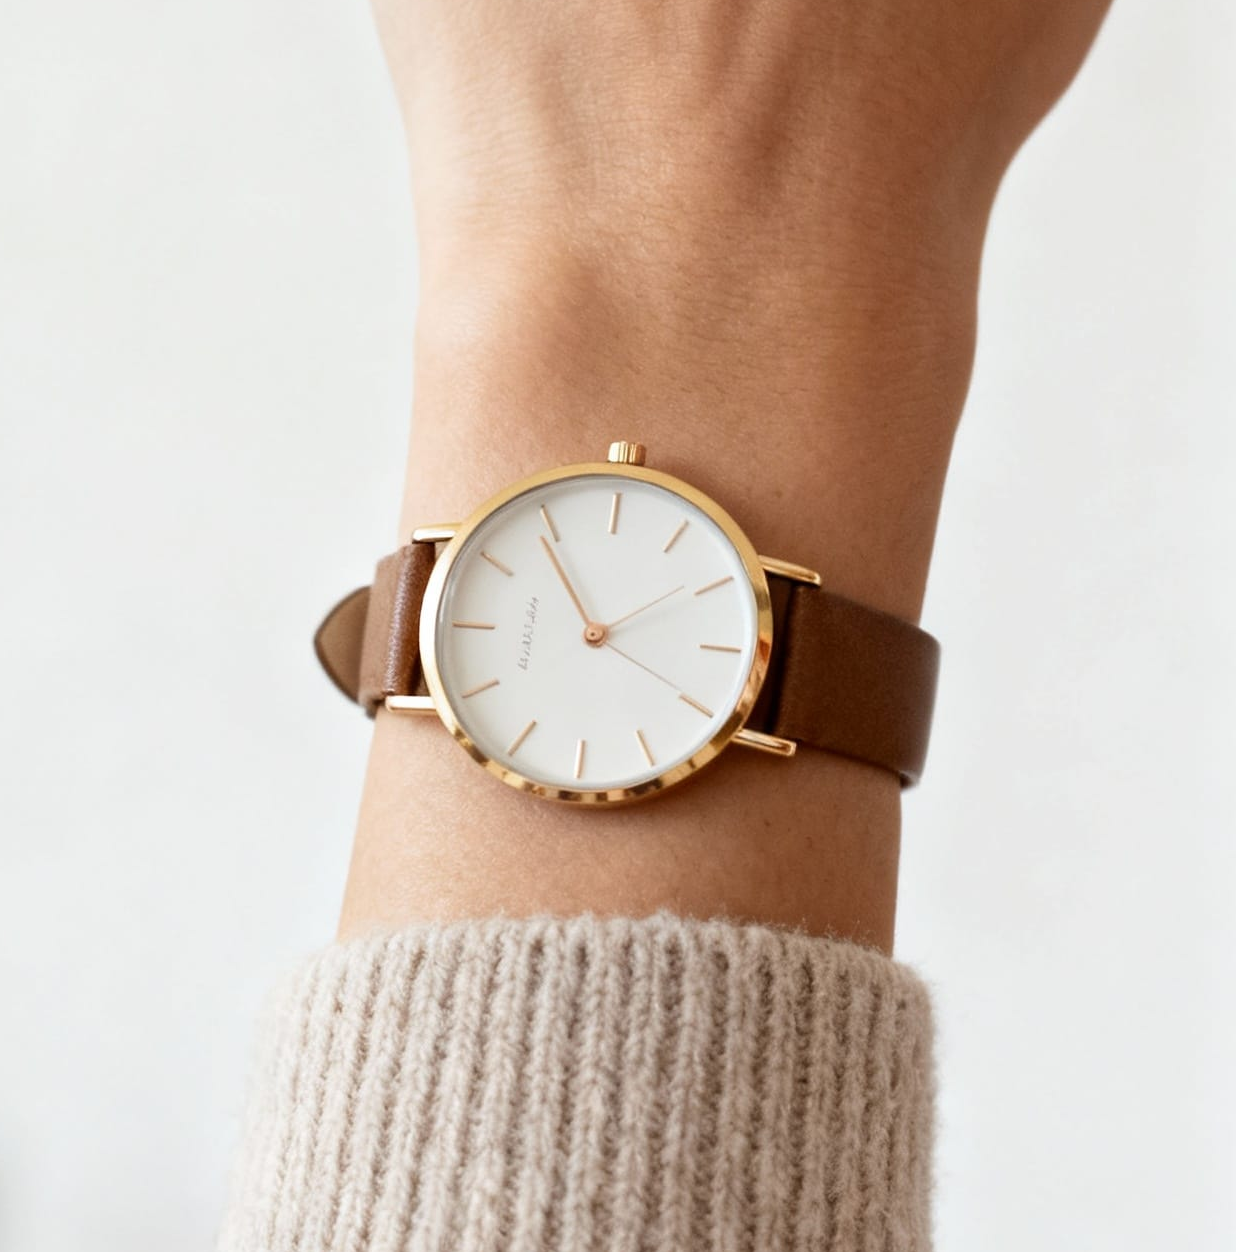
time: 1:54
